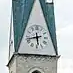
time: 5:42
